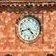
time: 4:42
